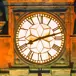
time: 8:12
